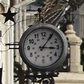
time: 3:05
